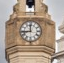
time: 11:43
